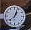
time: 1:03
